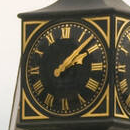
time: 2:07
